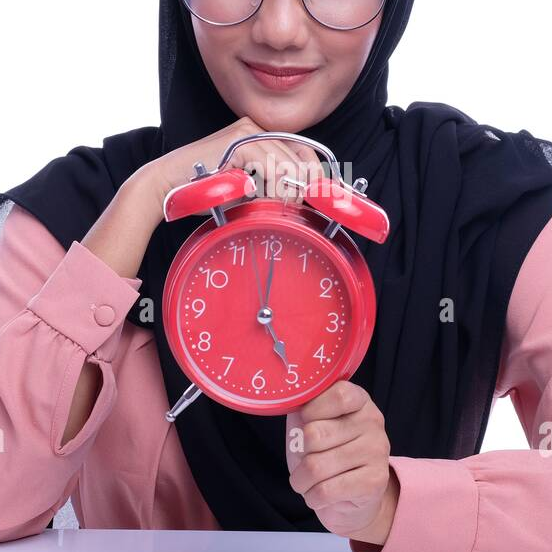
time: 5:00
